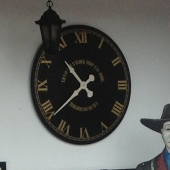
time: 10:38
